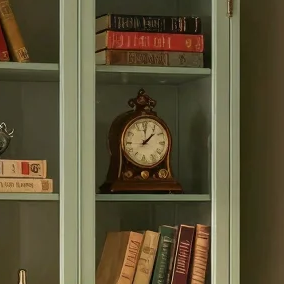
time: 12:07
